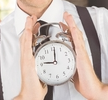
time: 9:01
